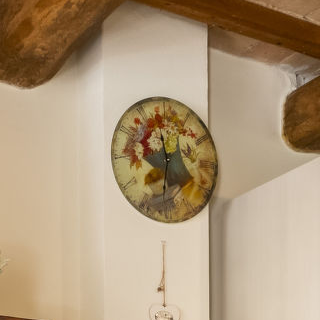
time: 11:31
